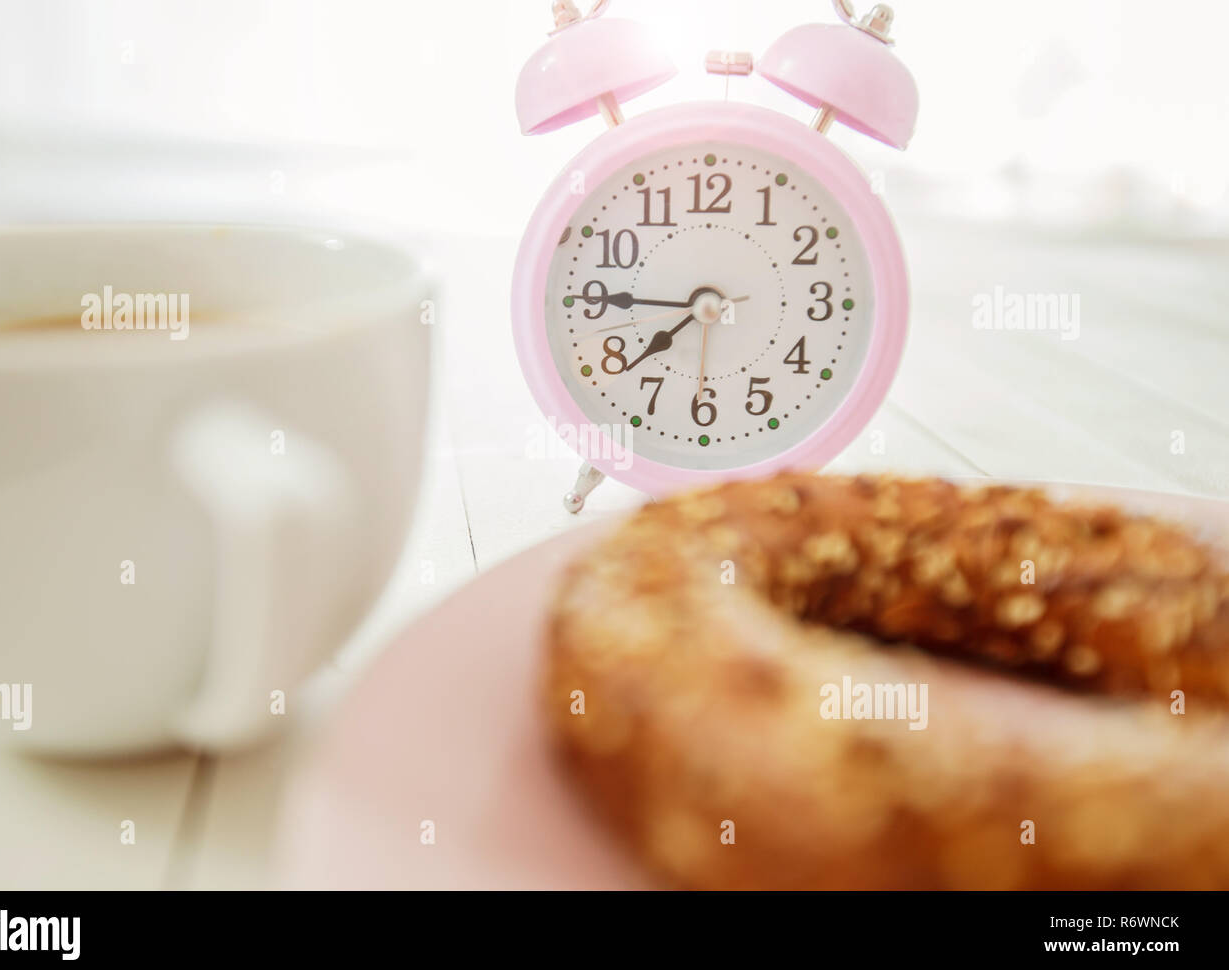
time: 7:45
